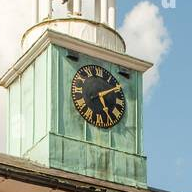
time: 5:09
